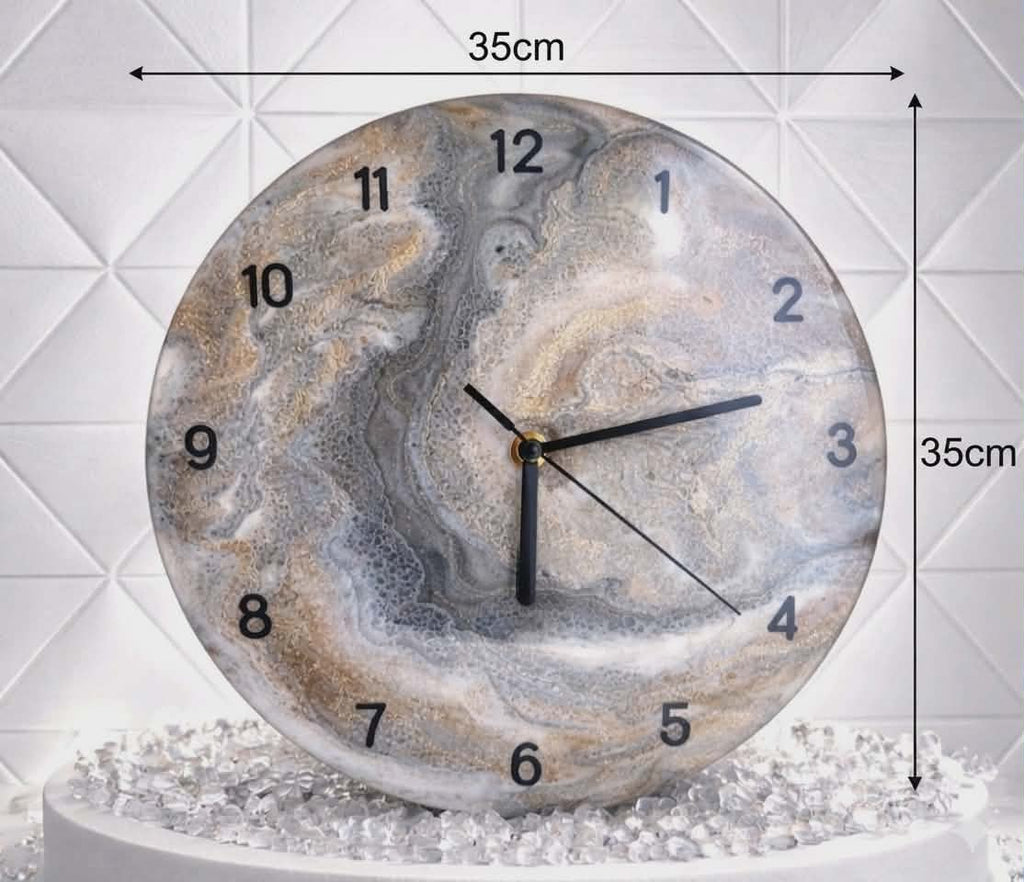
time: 6:12
